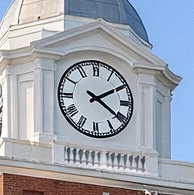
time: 4:09
